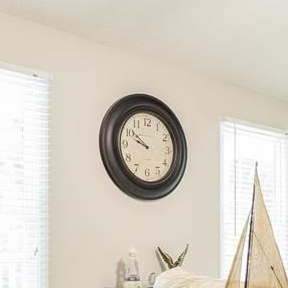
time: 9:51
